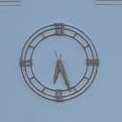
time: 6:26
